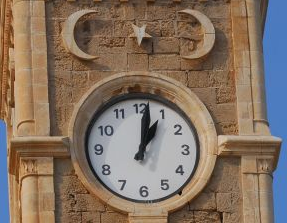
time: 1:01
